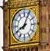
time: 8:04
